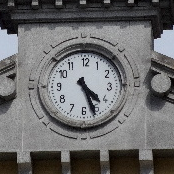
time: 4:26
